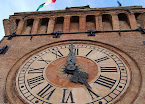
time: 4:59
